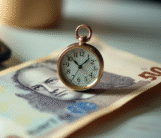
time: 10:07
